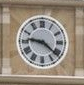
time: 9:21
